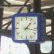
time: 1:16
